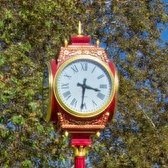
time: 3:31
